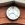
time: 8:21
